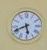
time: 5:41
